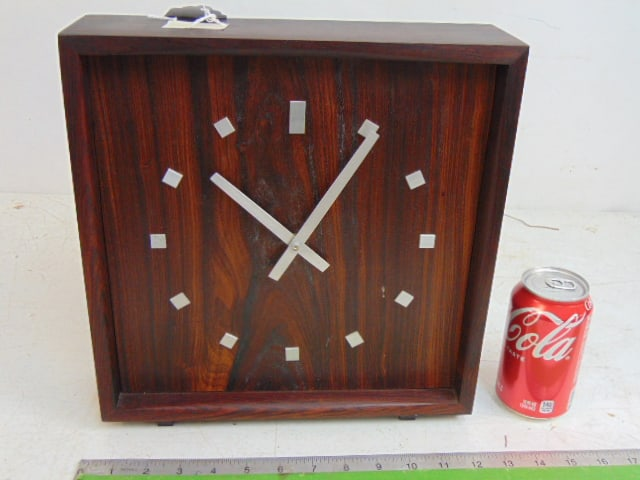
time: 10:05
